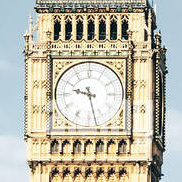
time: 9:28
